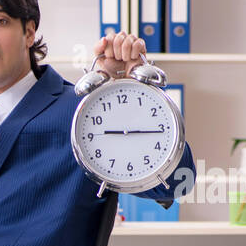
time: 9:16
